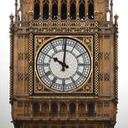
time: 10:00
